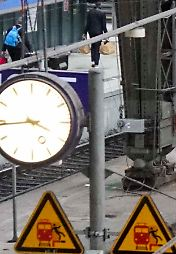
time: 3:44
